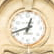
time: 12:41
